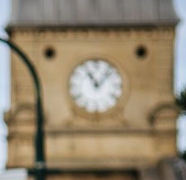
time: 11:07
